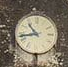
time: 10:43
